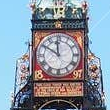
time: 11:50
